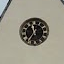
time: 11:35
